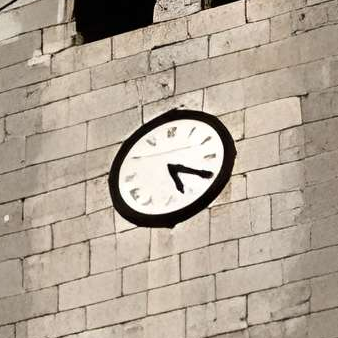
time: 5:19
